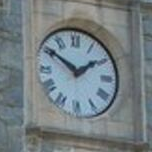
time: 1:50
